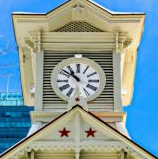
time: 10:51
